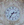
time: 2:36
